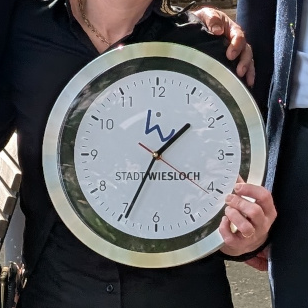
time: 1:34
